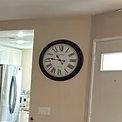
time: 10:46
